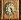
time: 6:25
